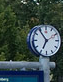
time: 6:53
